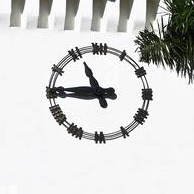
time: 10:45
